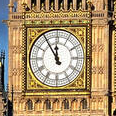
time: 11:54
